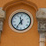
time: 11:36
